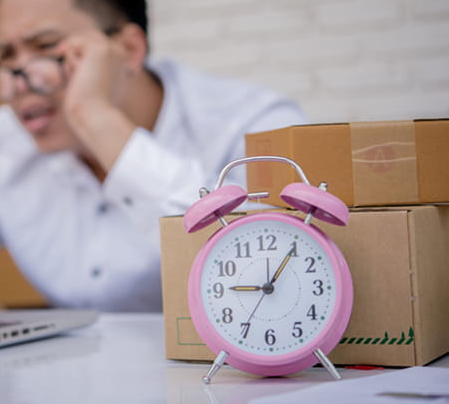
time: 9:05
